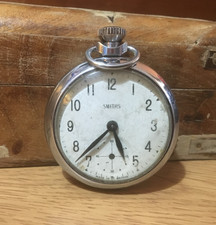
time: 5:37
